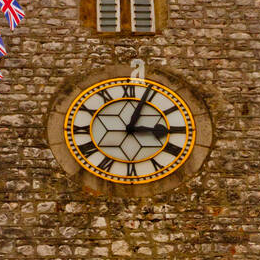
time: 3:03
